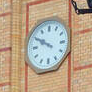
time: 9:50
